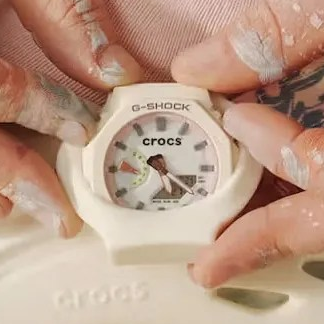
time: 5:21
